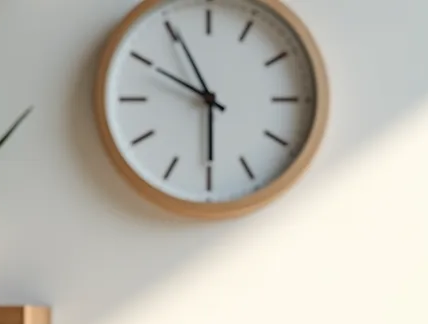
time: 5:49
